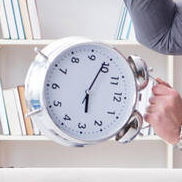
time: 6:04
